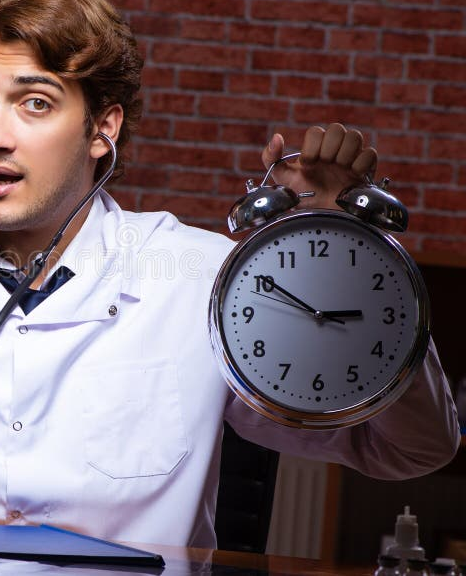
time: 2:50
